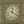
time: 12:20
